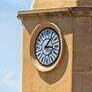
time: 3:06
